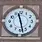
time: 11:28
